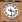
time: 3:29
